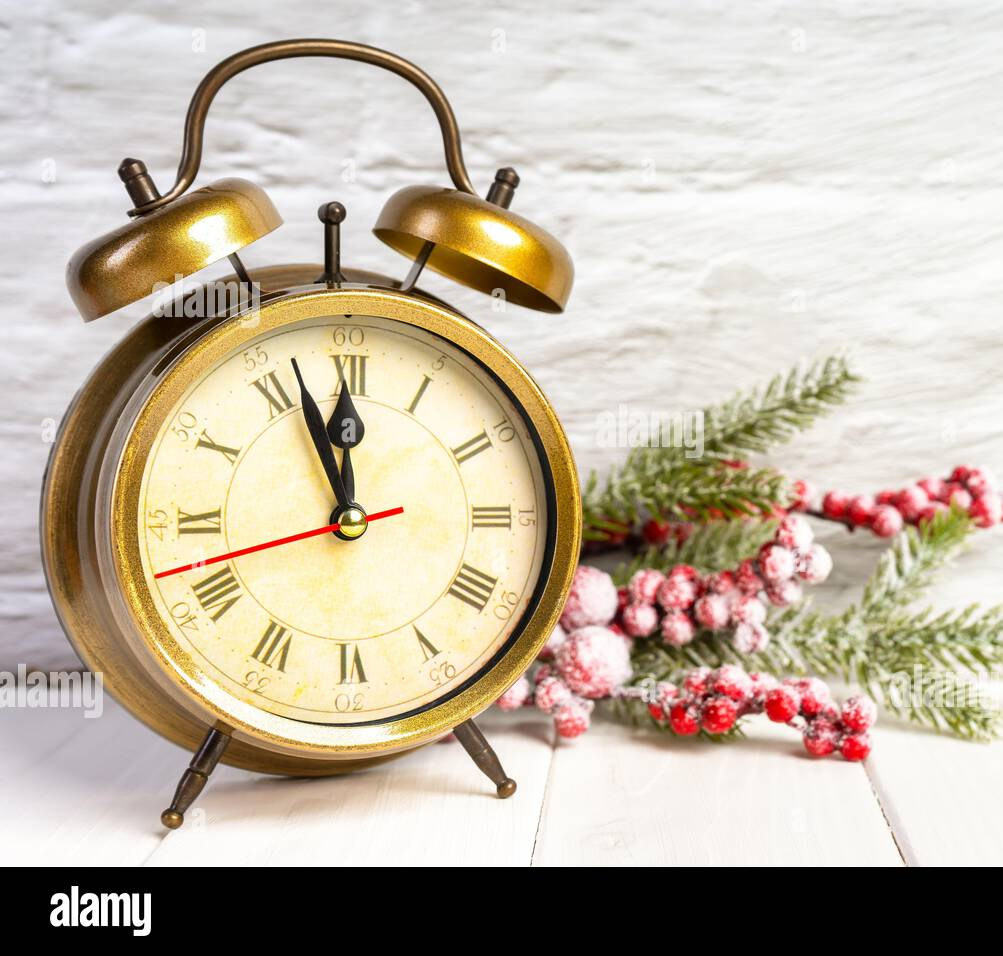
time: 11:56
